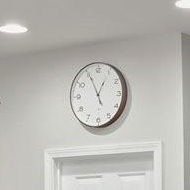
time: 12:55
